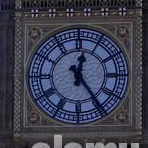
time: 12:24
